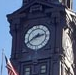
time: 2:40
